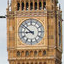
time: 8:51
